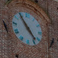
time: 4:54
